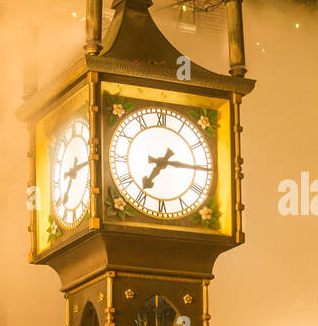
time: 7:15
